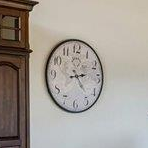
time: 2:23
